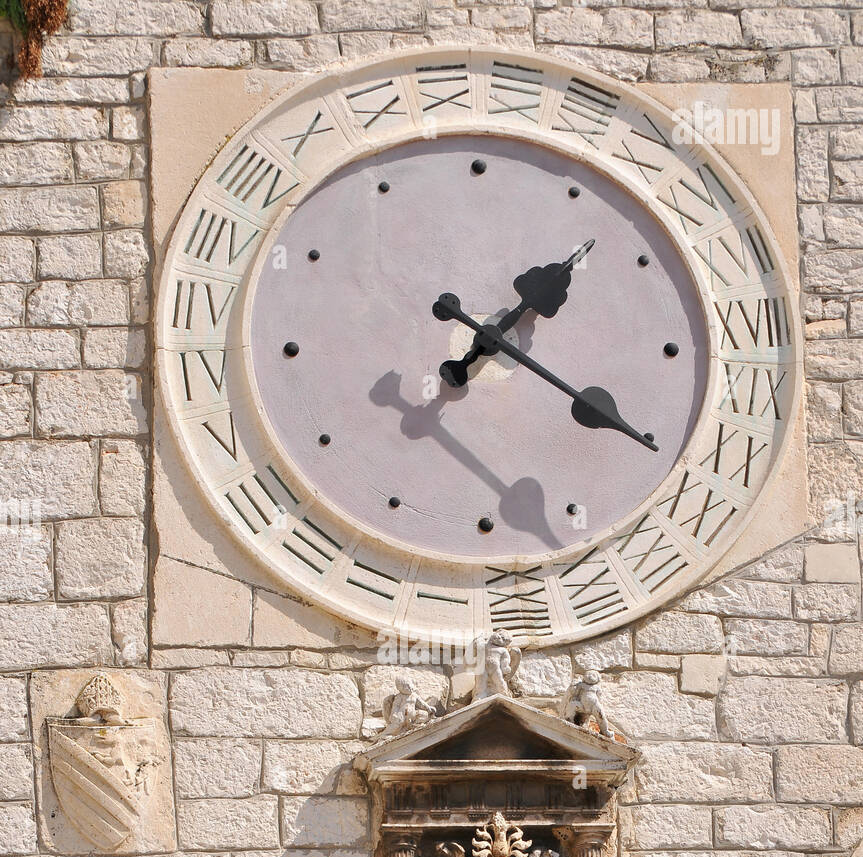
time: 1:20
